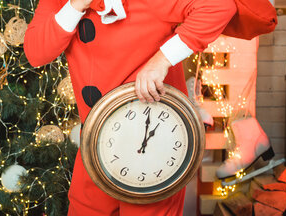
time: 1:00
